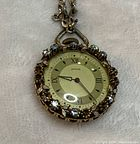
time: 9:23
